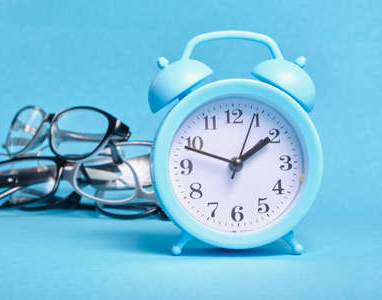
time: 1:48
